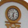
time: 6:28
